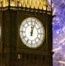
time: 12:03
